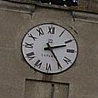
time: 2:24
